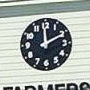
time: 1:59
